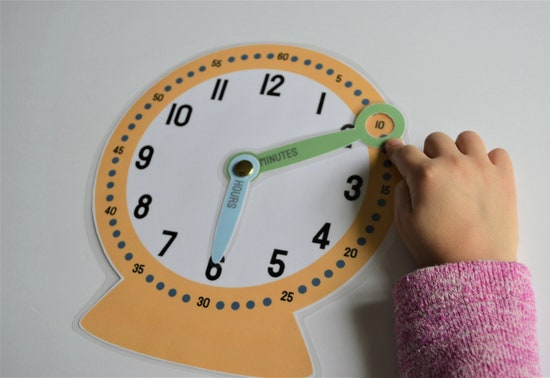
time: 6:10
